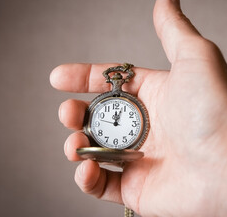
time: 12:03
